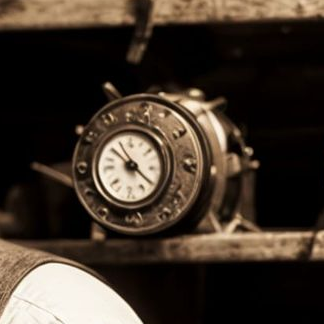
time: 10:22
